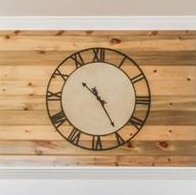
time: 10:24
